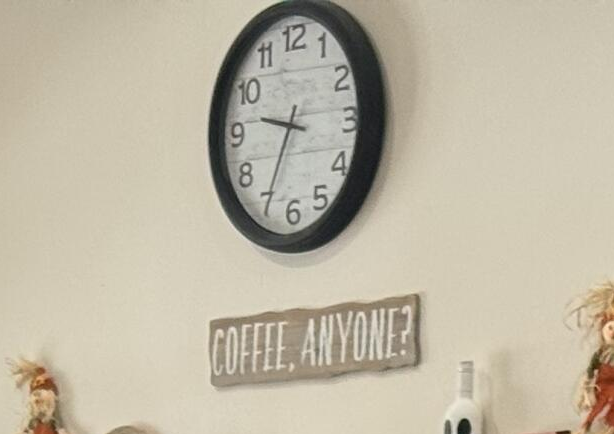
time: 9:34
